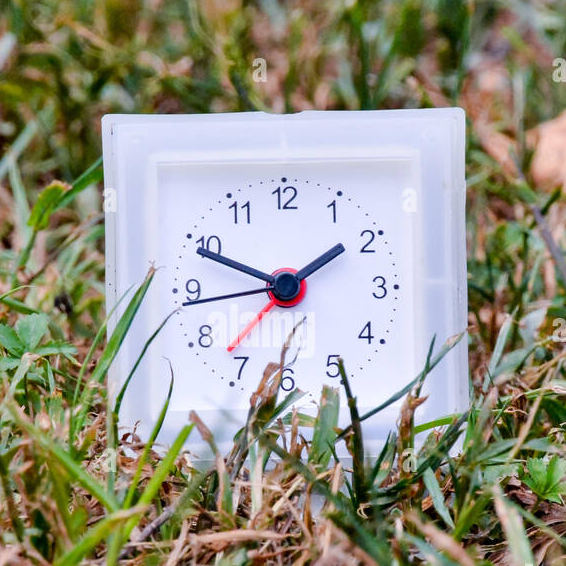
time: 1:49
